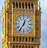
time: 12:35
